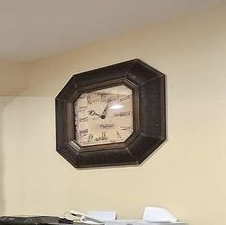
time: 10:03
